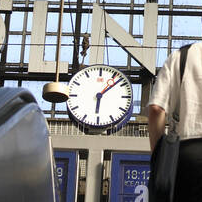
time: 6:07
